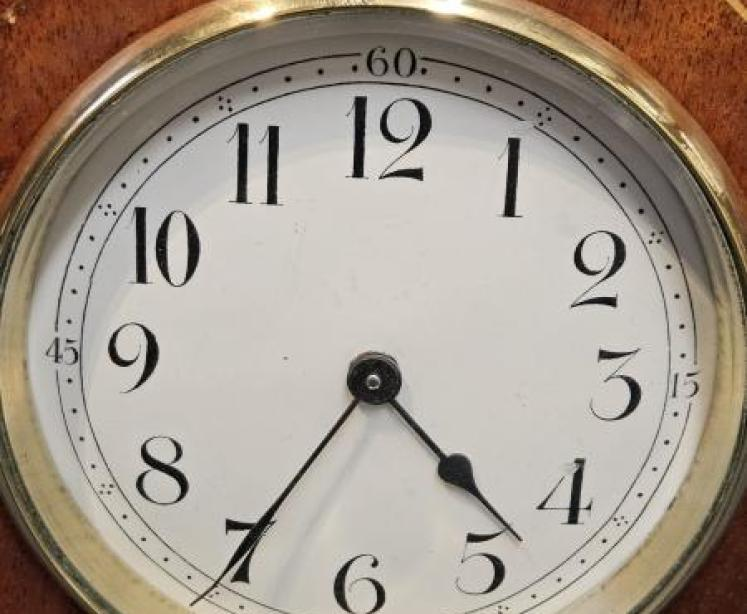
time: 4:35
